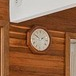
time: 1:50
